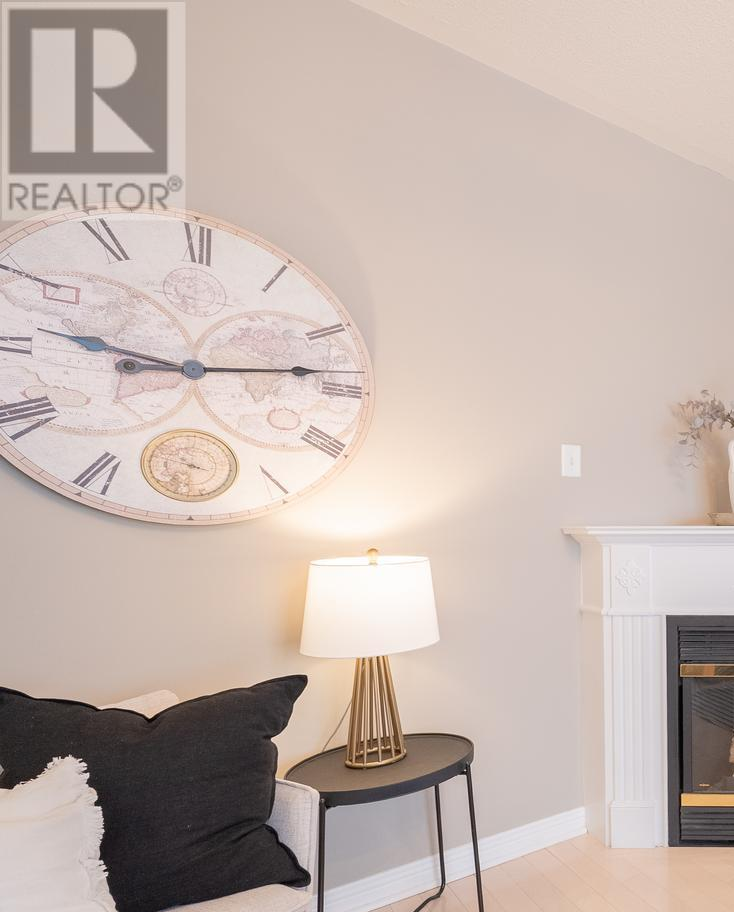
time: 9:13
